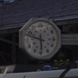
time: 5:48
